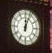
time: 12:03
